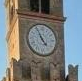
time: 4:55
